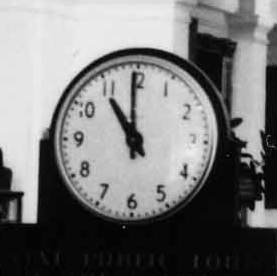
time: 10:59
